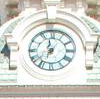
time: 11:33
